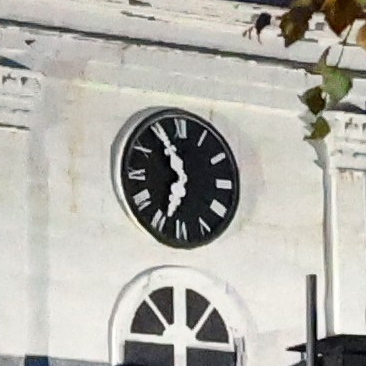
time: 6:55
